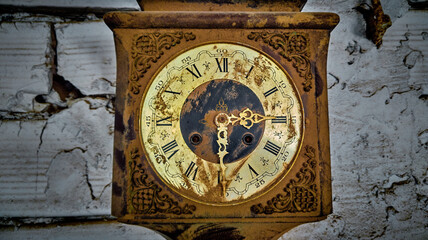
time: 6:14
